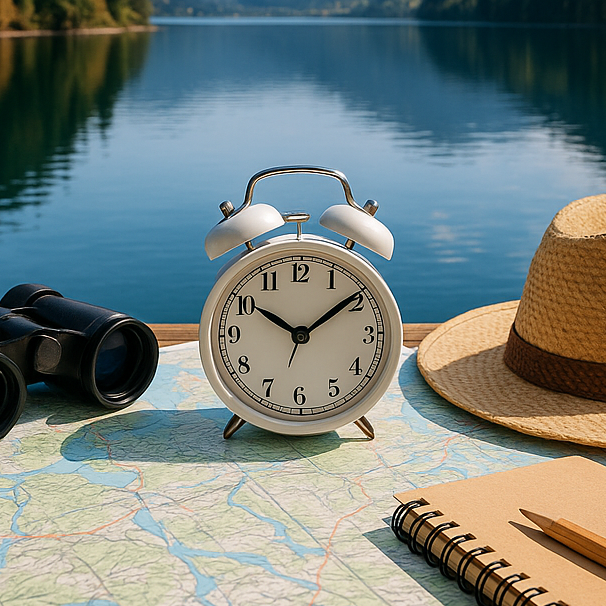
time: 10:09
